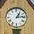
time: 1:13
